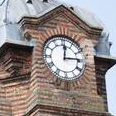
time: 12:14
